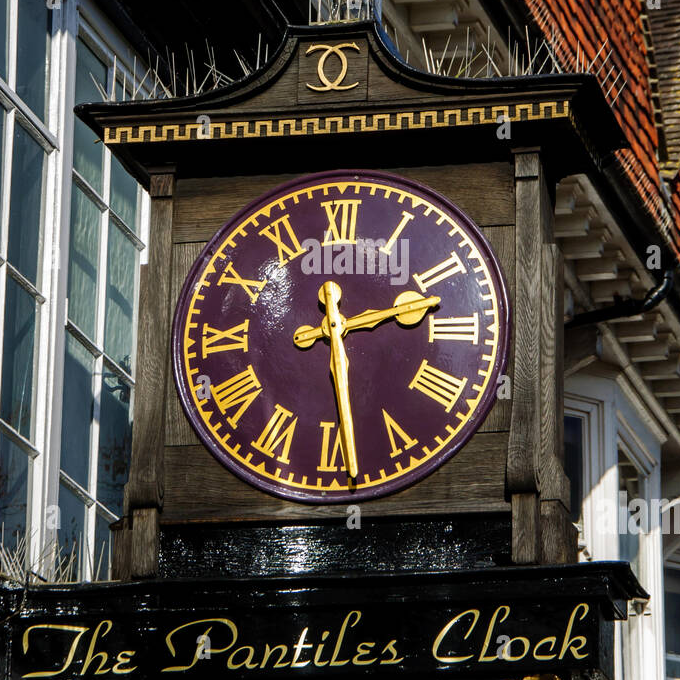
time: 2:28
